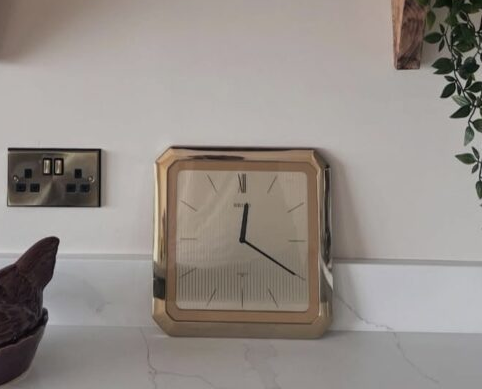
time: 12:20
